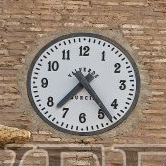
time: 7:23
